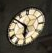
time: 5:51
